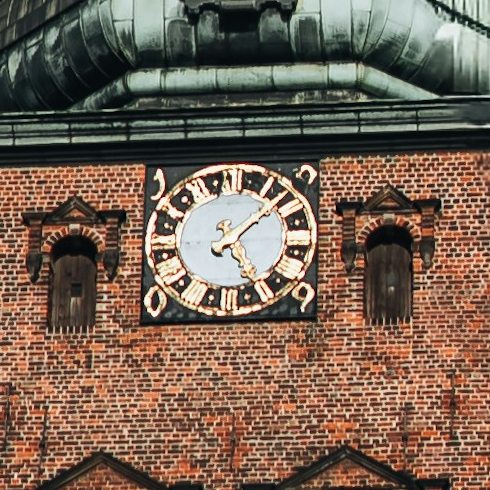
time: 1:24
